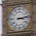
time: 3:13
